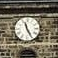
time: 11:25
